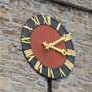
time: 3:09
